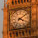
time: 4:08
